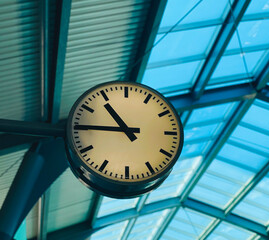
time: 10:45
